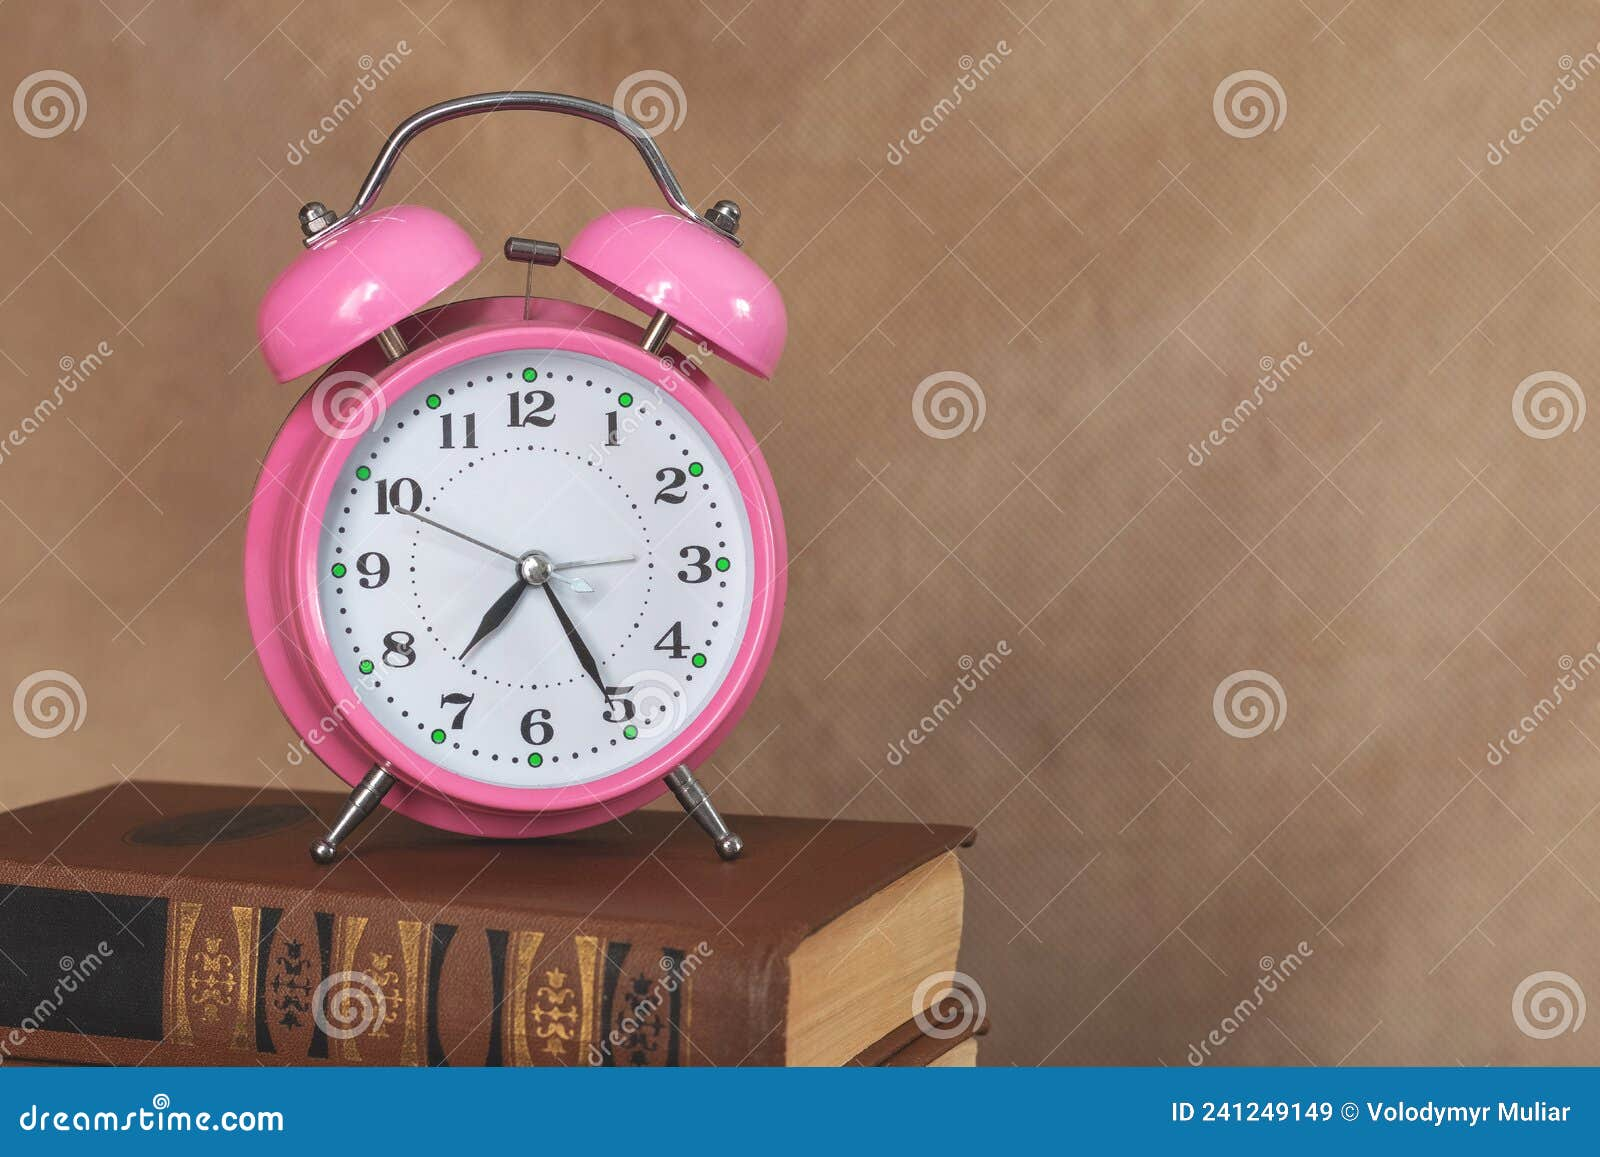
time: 7:25
